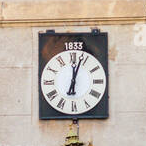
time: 12:03
